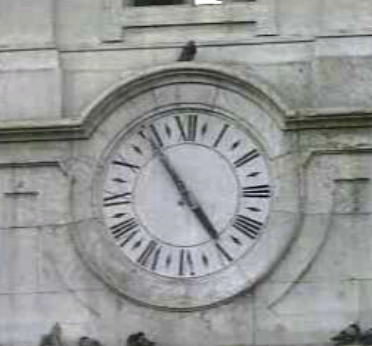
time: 4:54
